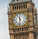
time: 11:32
